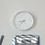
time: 8:37
